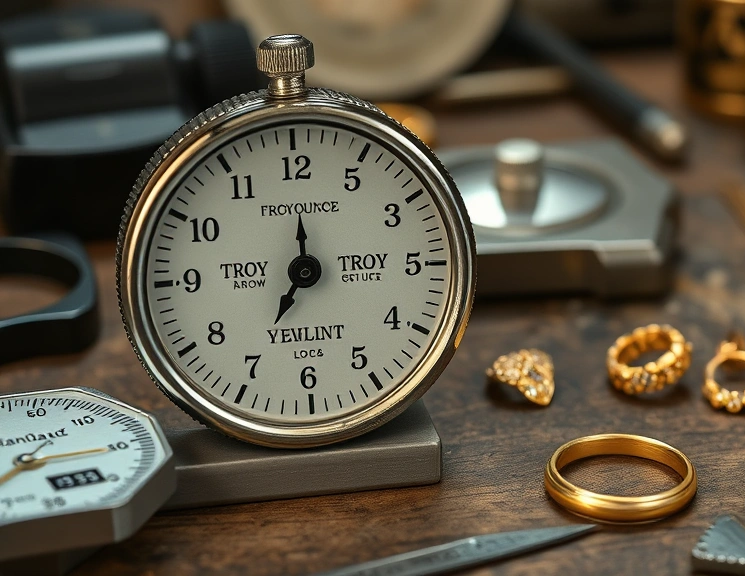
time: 7:00
